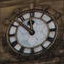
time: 11:52
